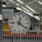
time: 12:21
